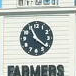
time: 11:21
